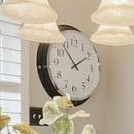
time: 1:54
